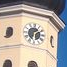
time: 6:10
